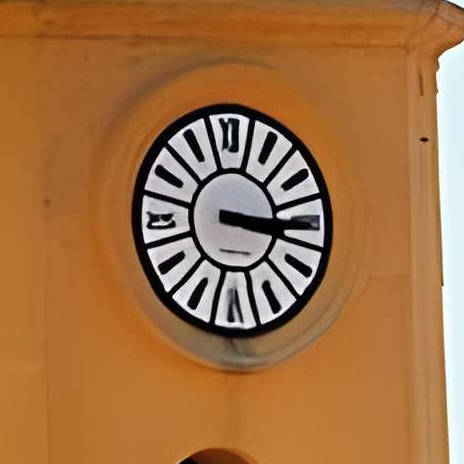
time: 3:17
